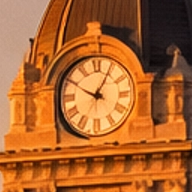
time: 12:49
